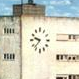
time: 9:37
